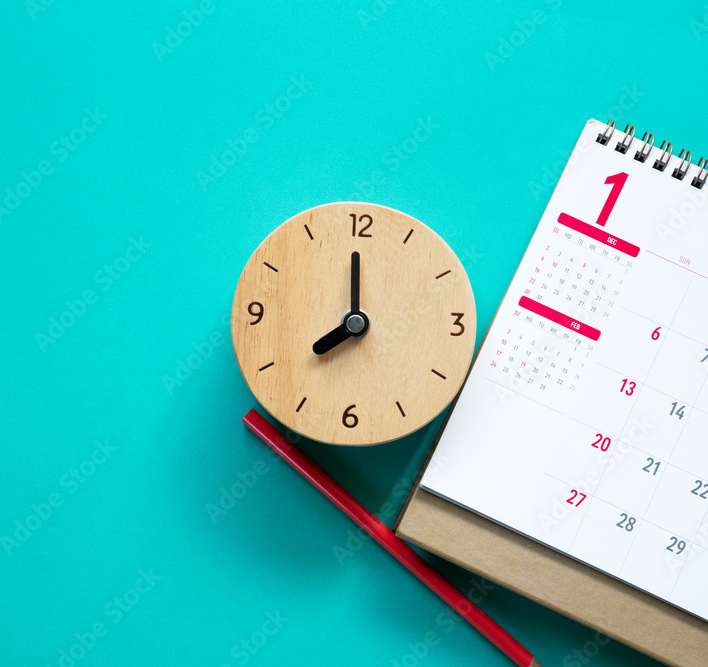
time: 7:59
